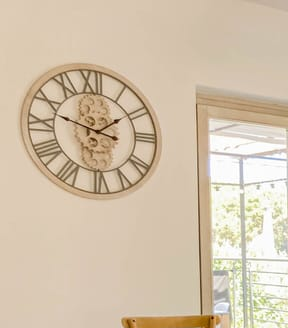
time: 1:47
